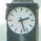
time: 2:27
